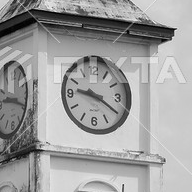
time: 9:20
